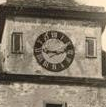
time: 9:12
